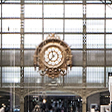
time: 11:37
